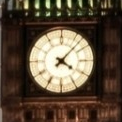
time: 4:07
